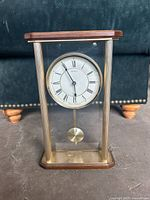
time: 5:54
